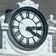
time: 4:13
